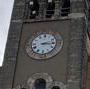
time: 3:12
